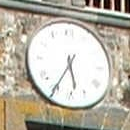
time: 5:35
